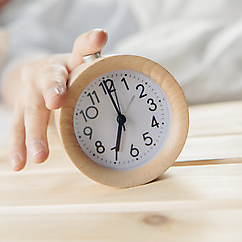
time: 7:00
